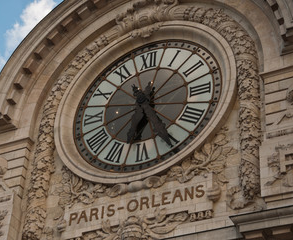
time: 6:25
